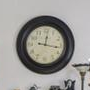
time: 12:16
